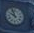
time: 9:56
